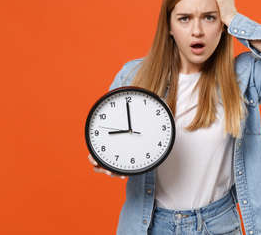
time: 8:59
